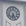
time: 6:25
